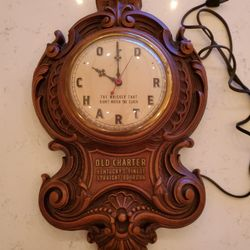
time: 10:00
